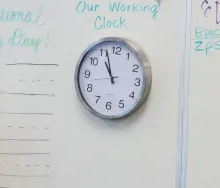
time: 10:56
